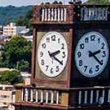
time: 2:19
